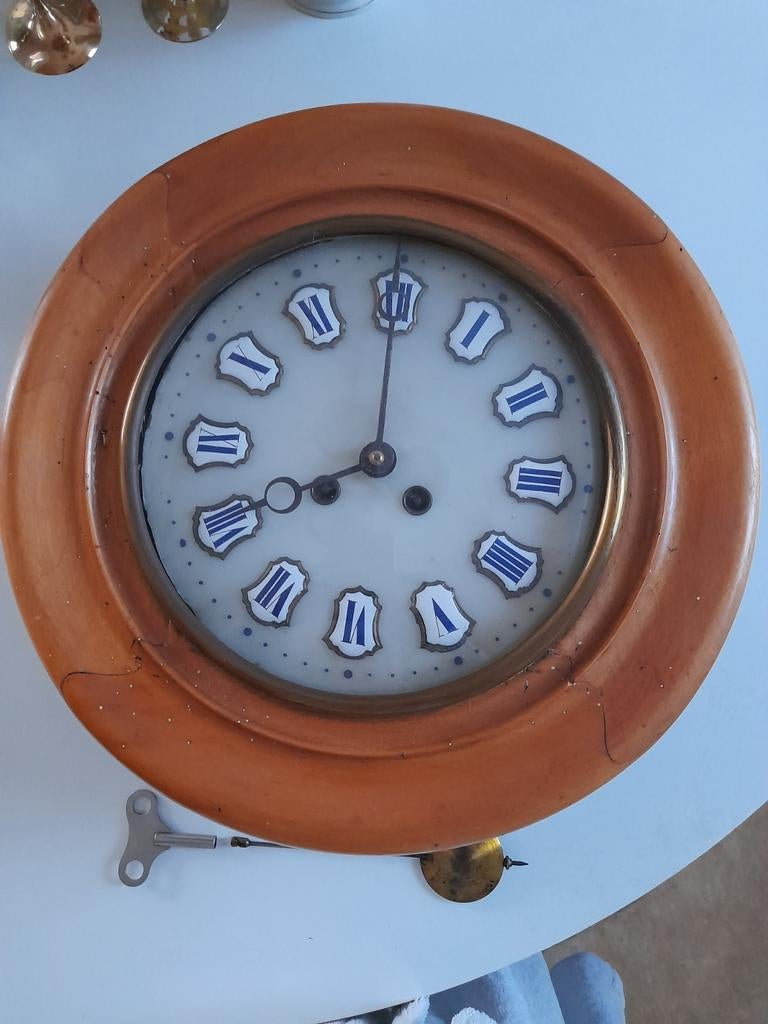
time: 7:59
